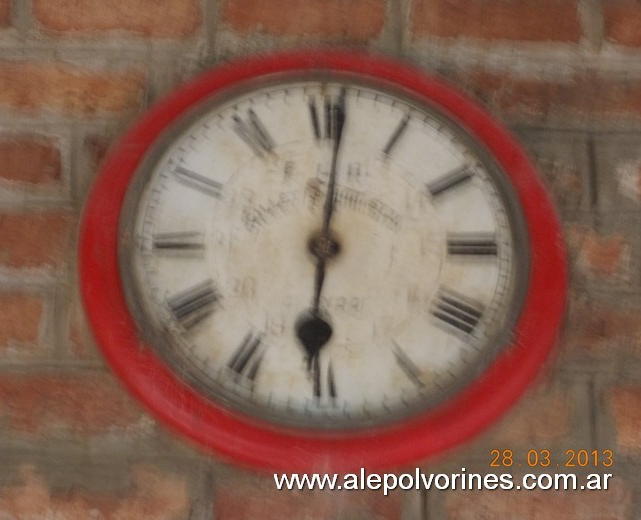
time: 6:01
